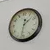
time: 1:32
